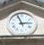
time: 2:56
